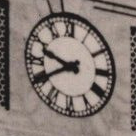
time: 9:40
